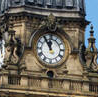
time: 11:55
